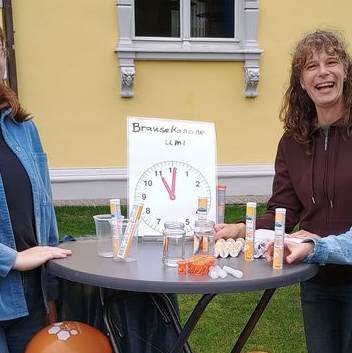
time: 11:00
